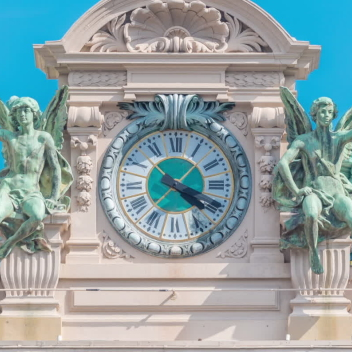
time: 4:18
